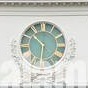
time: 10:31
